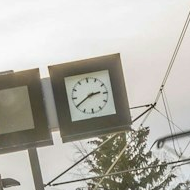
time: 2:40
